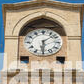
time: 6:08
